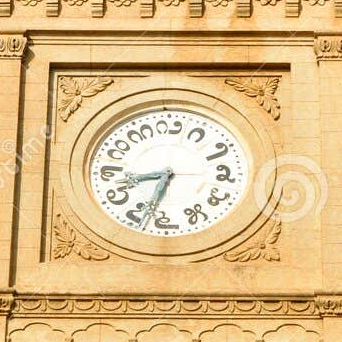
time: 6:41
